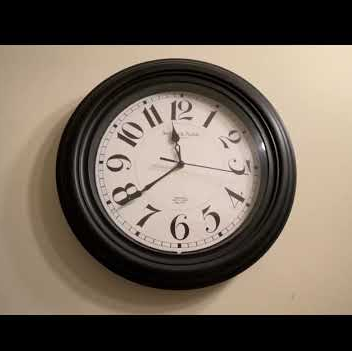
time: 11:38
